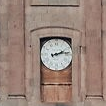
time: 2:13
